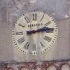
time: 2:13
